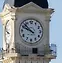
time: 9:52
